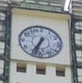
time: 6:34
